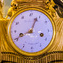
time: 12:41
